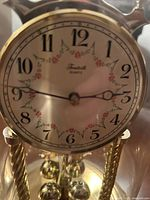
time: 2:46
